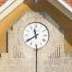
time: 11:39
